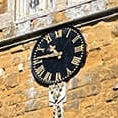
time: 10:45
